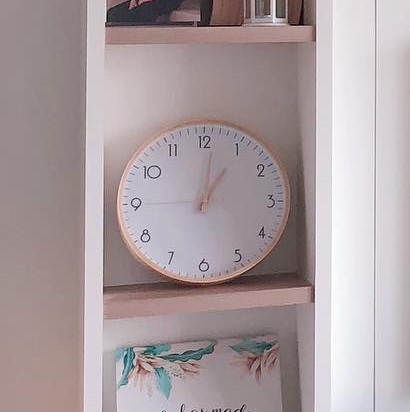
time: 1:01
